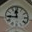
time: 11:44
